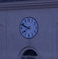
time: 7:49
